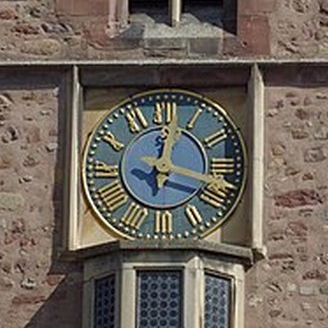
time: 12:17
